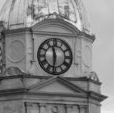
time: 11:31
